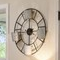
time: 5:59
